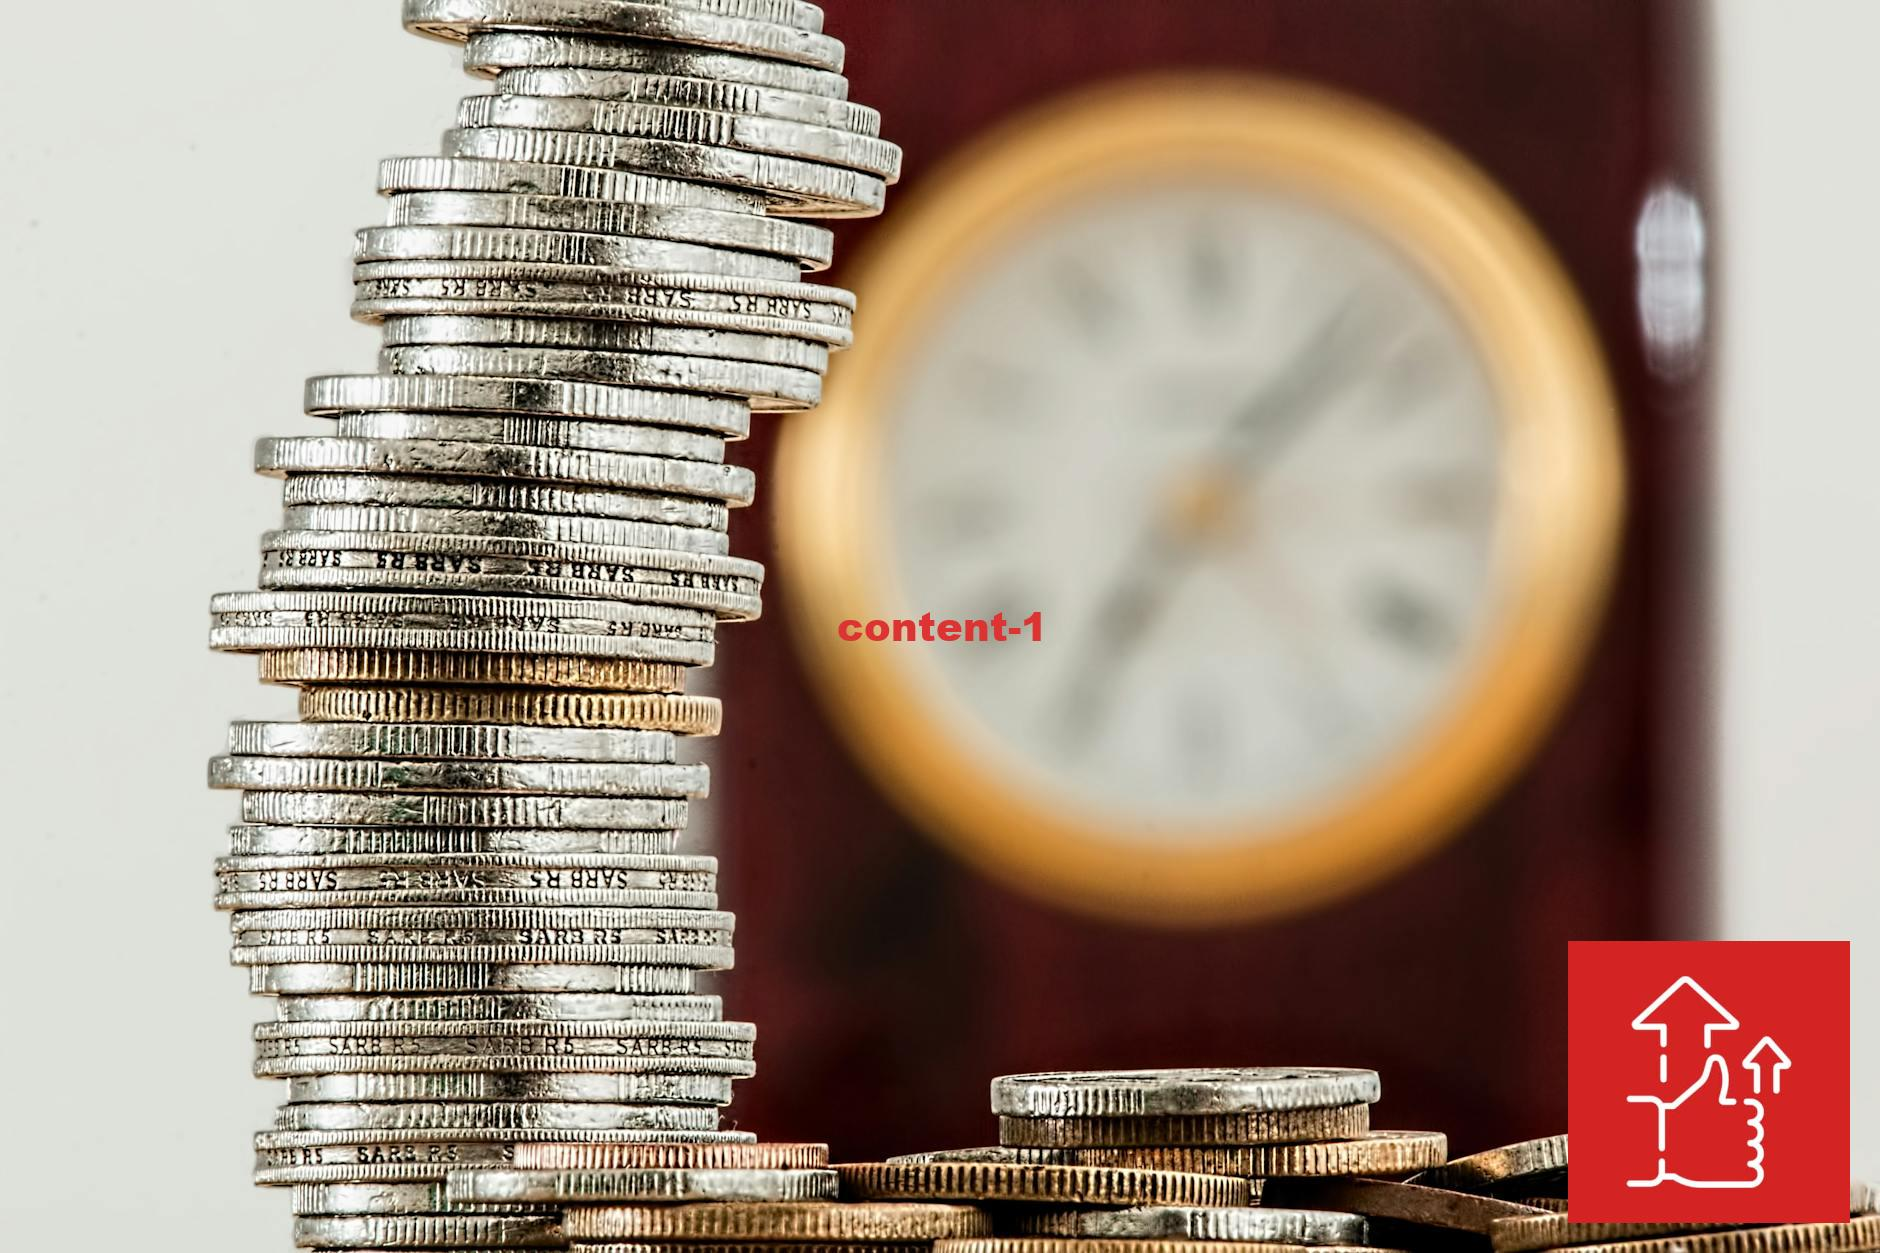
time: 7:07
